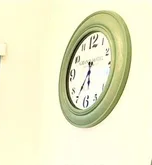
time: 5:35
